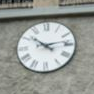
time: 10:13
